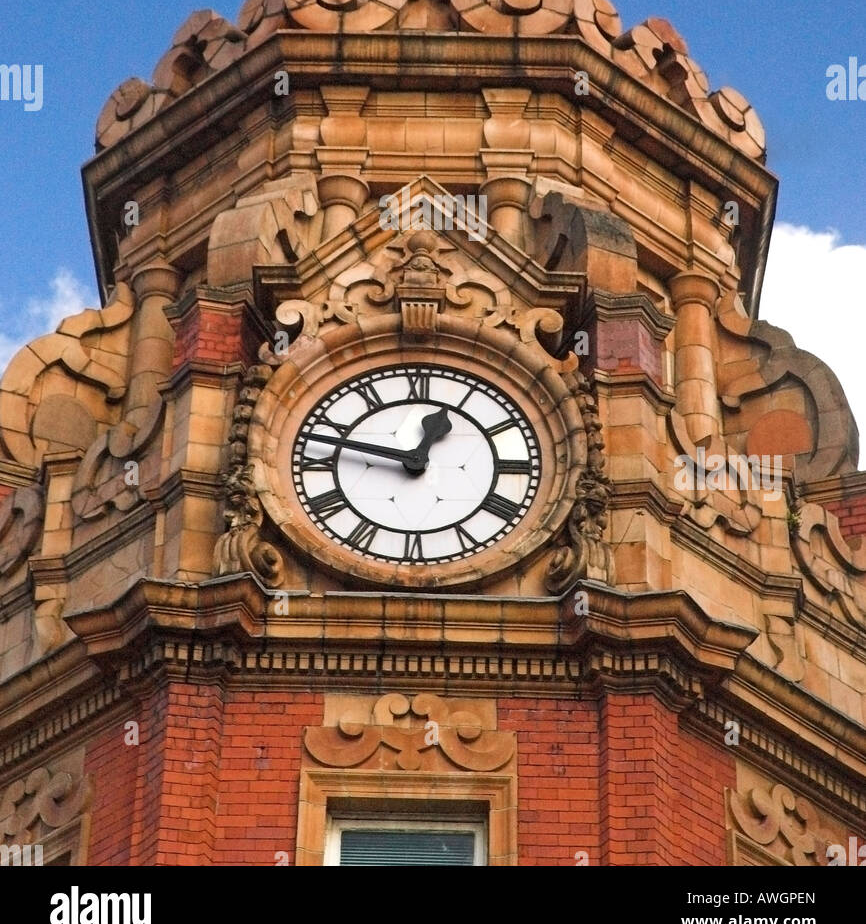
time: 12:47
